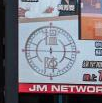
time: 5:45
